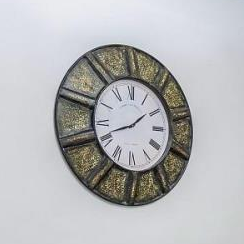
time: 1:41
